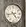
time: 4:42
